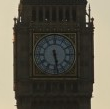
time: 5:28
